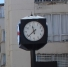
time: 11:37
